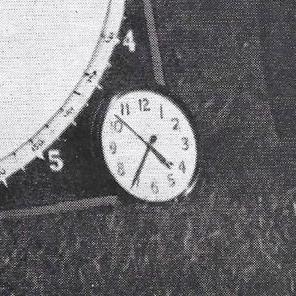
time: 4:35
